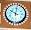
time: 10:00
